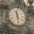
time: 11:28
